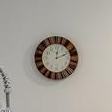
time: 2:01
